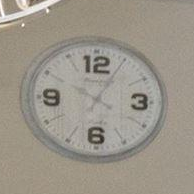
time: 10:04
